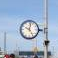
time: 12:24
